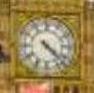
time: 4:22
